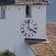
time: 3:58
